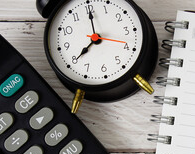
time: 8:00
